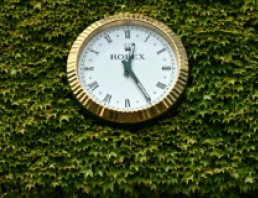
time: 12:24
